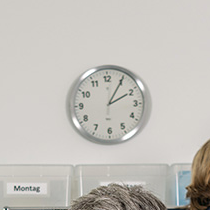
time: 2:05
